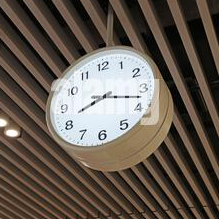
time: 8:17
